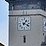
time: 1:18
